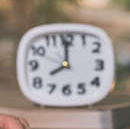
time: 7:59
